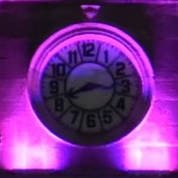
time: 8:16
